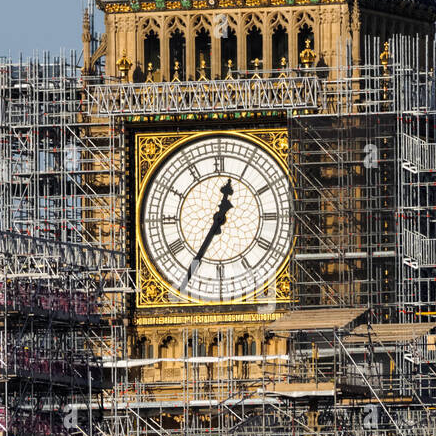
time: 12:35
